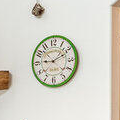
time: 9:10
